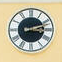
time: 3:12
